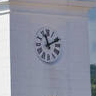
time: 11:10
